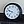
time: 9:36
